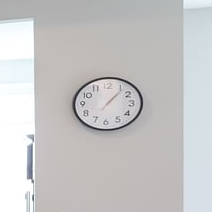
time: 1:06
